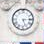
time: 5:14
